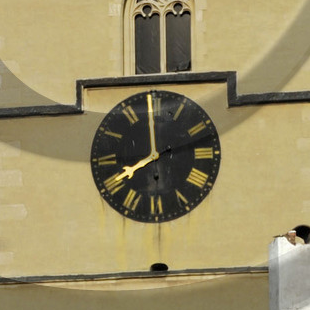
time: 8:12
